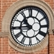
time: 10:45
